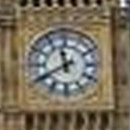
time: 11:40
